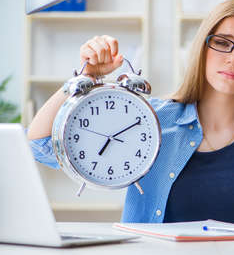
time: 7:10
